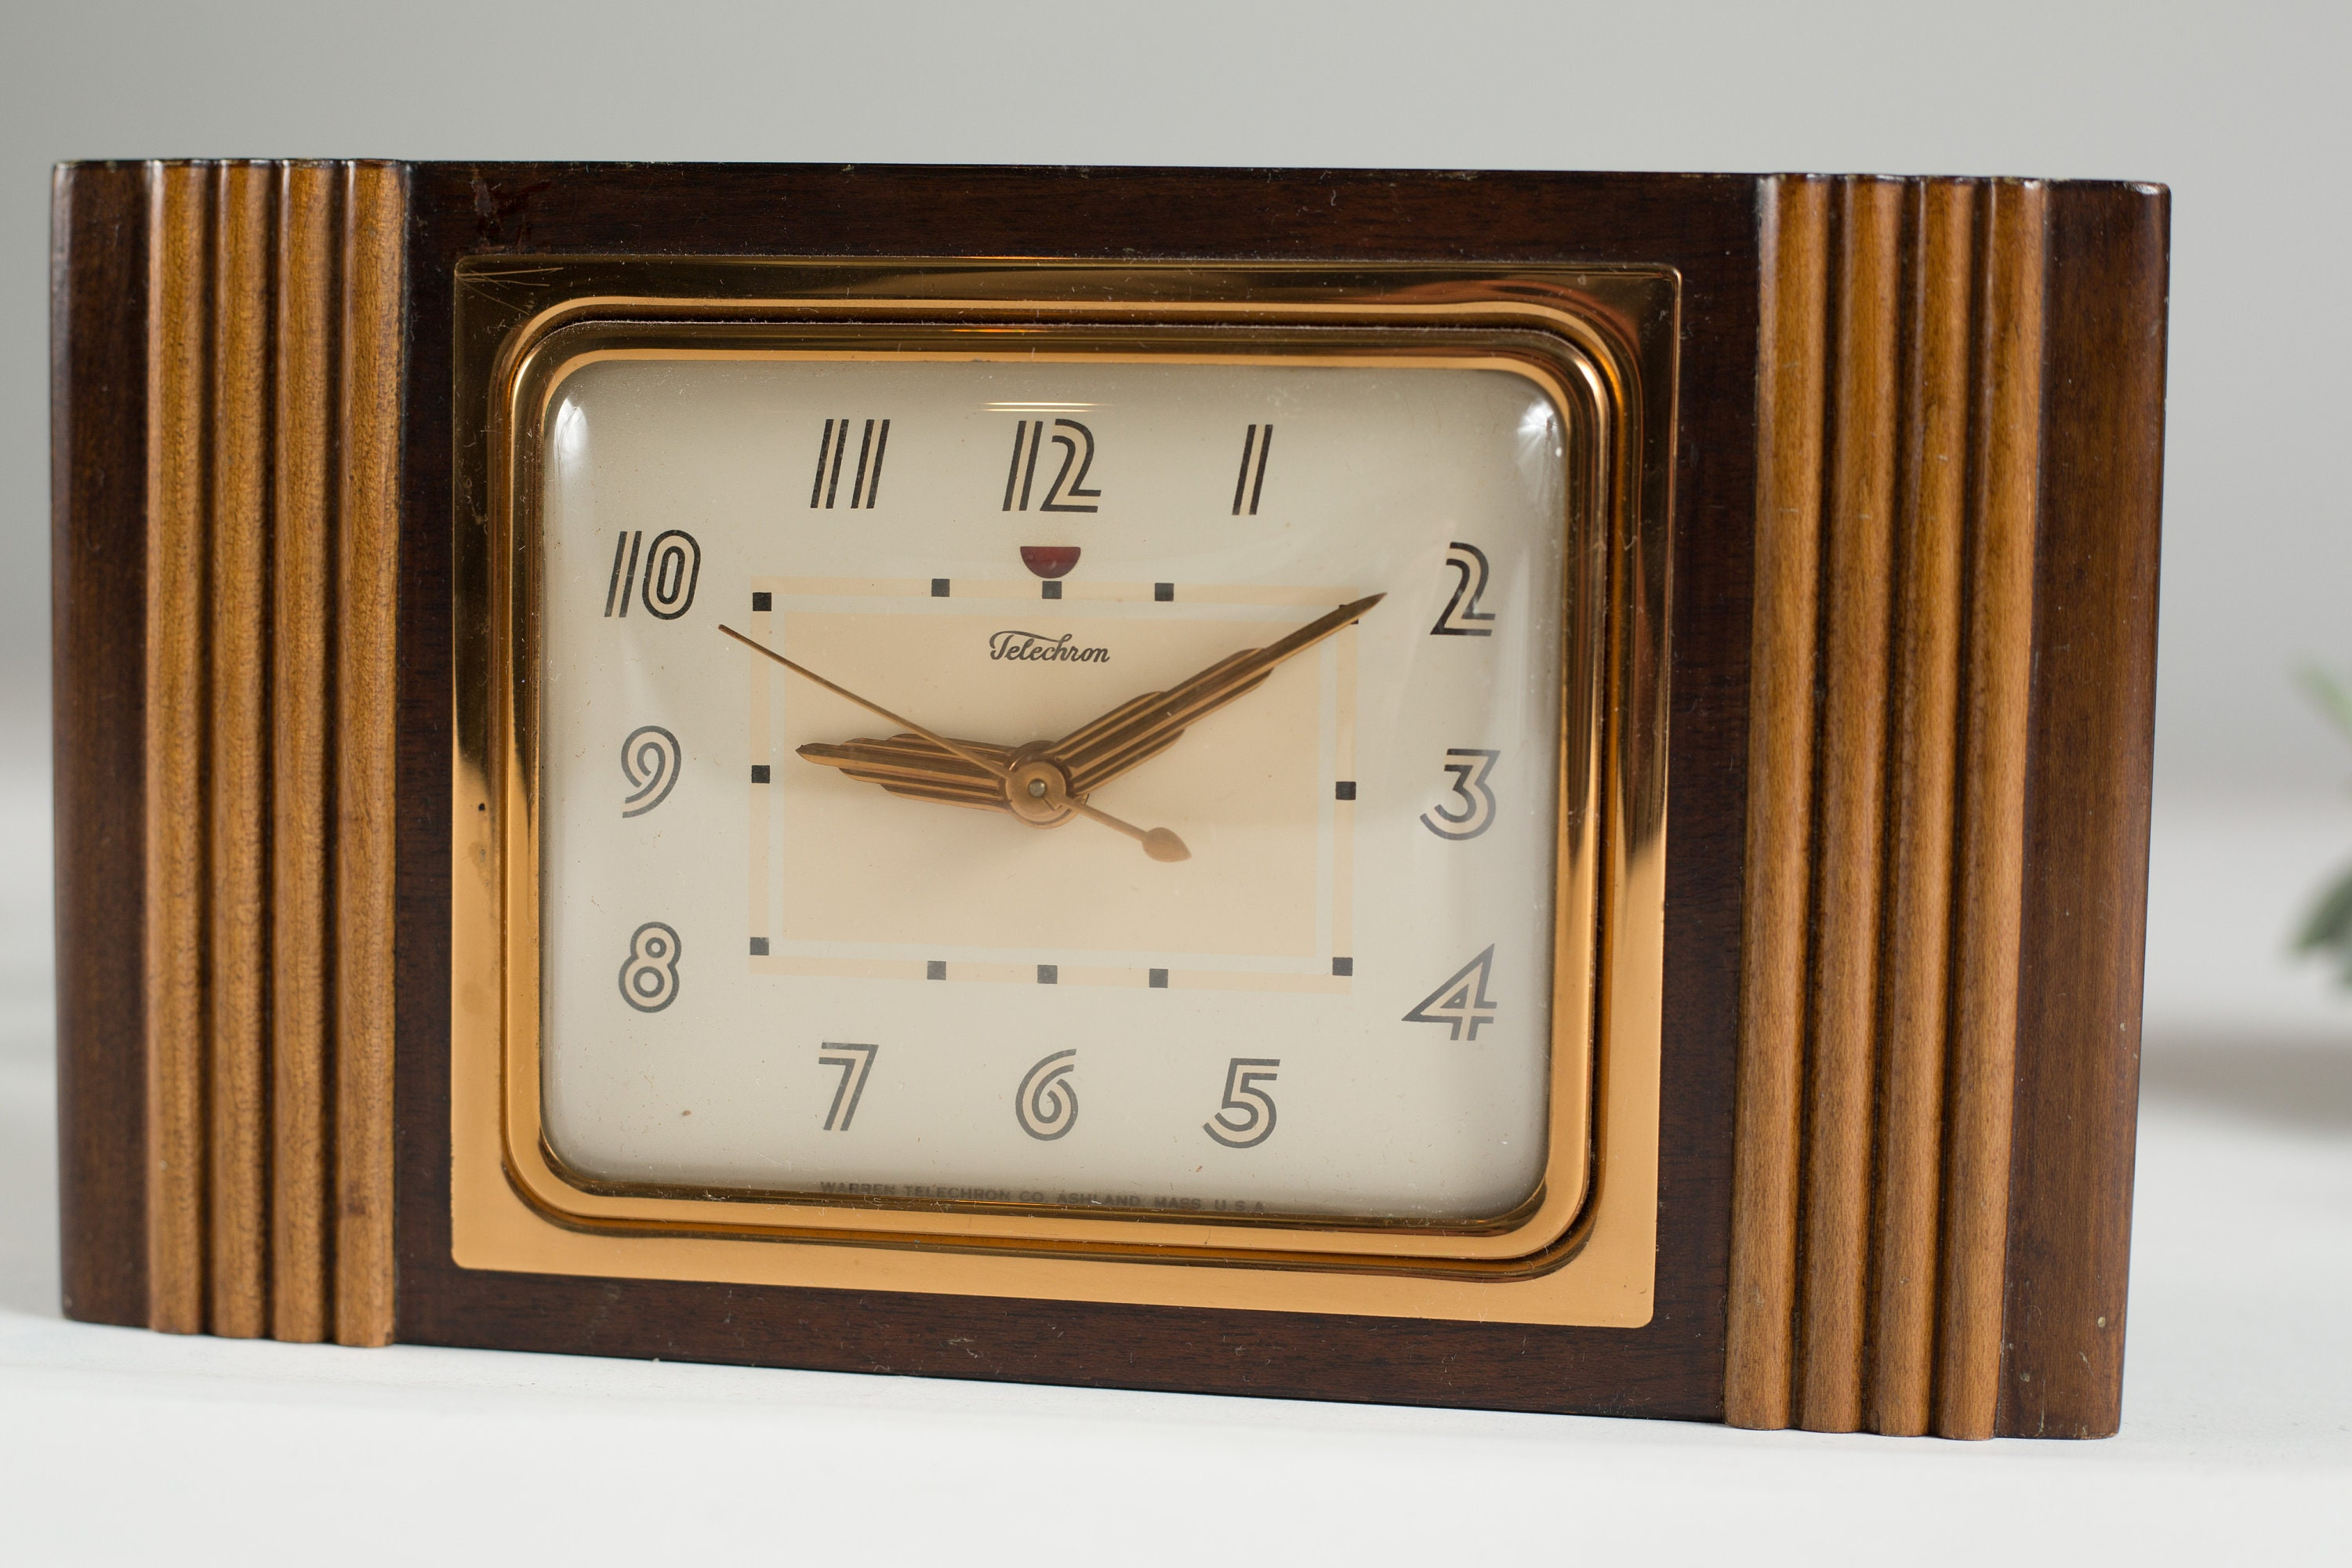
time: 9:09
